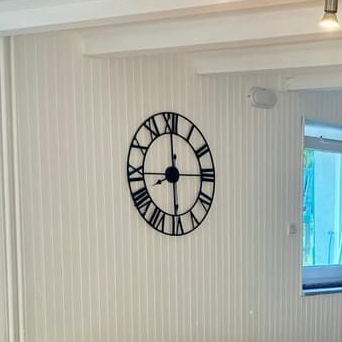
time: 7:59
